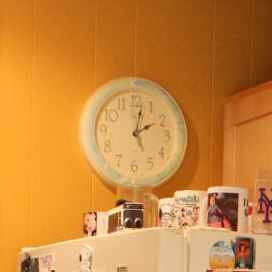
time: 2:02
